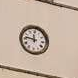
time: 11:46
